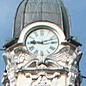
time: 9:12
